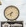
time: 6:40
